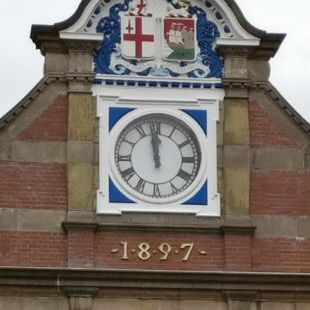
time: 11:58
